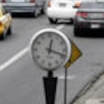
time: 12:18
